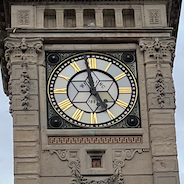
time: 4:58
